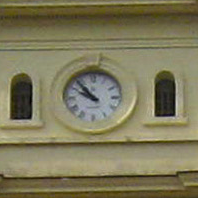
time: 9:53
